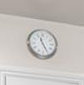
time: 11:25
